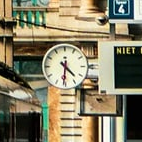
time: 4:31
